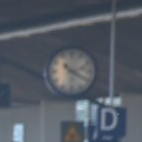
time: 4:12
